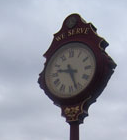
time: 9:26
